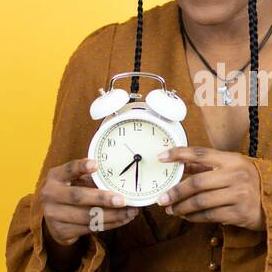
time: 7:30
